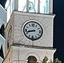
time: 8:42
